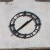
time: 1:37
